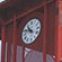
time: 10:48
